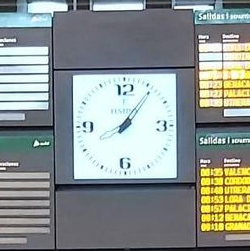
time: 8:06
